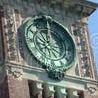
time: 12:00
